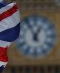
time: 12:55
